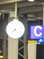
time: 7:37
